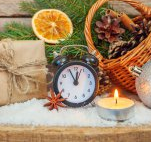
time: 11:55
